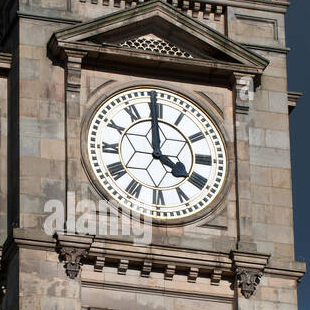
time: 3:59
